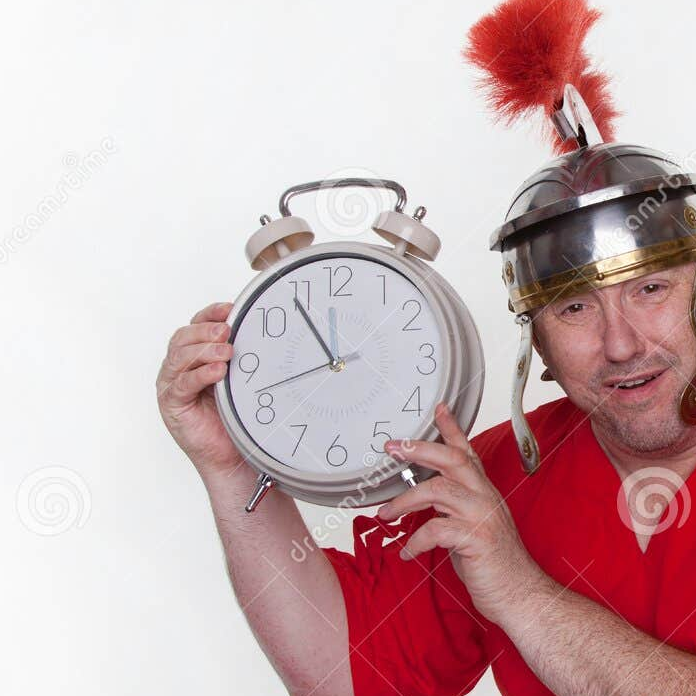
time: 10:54
